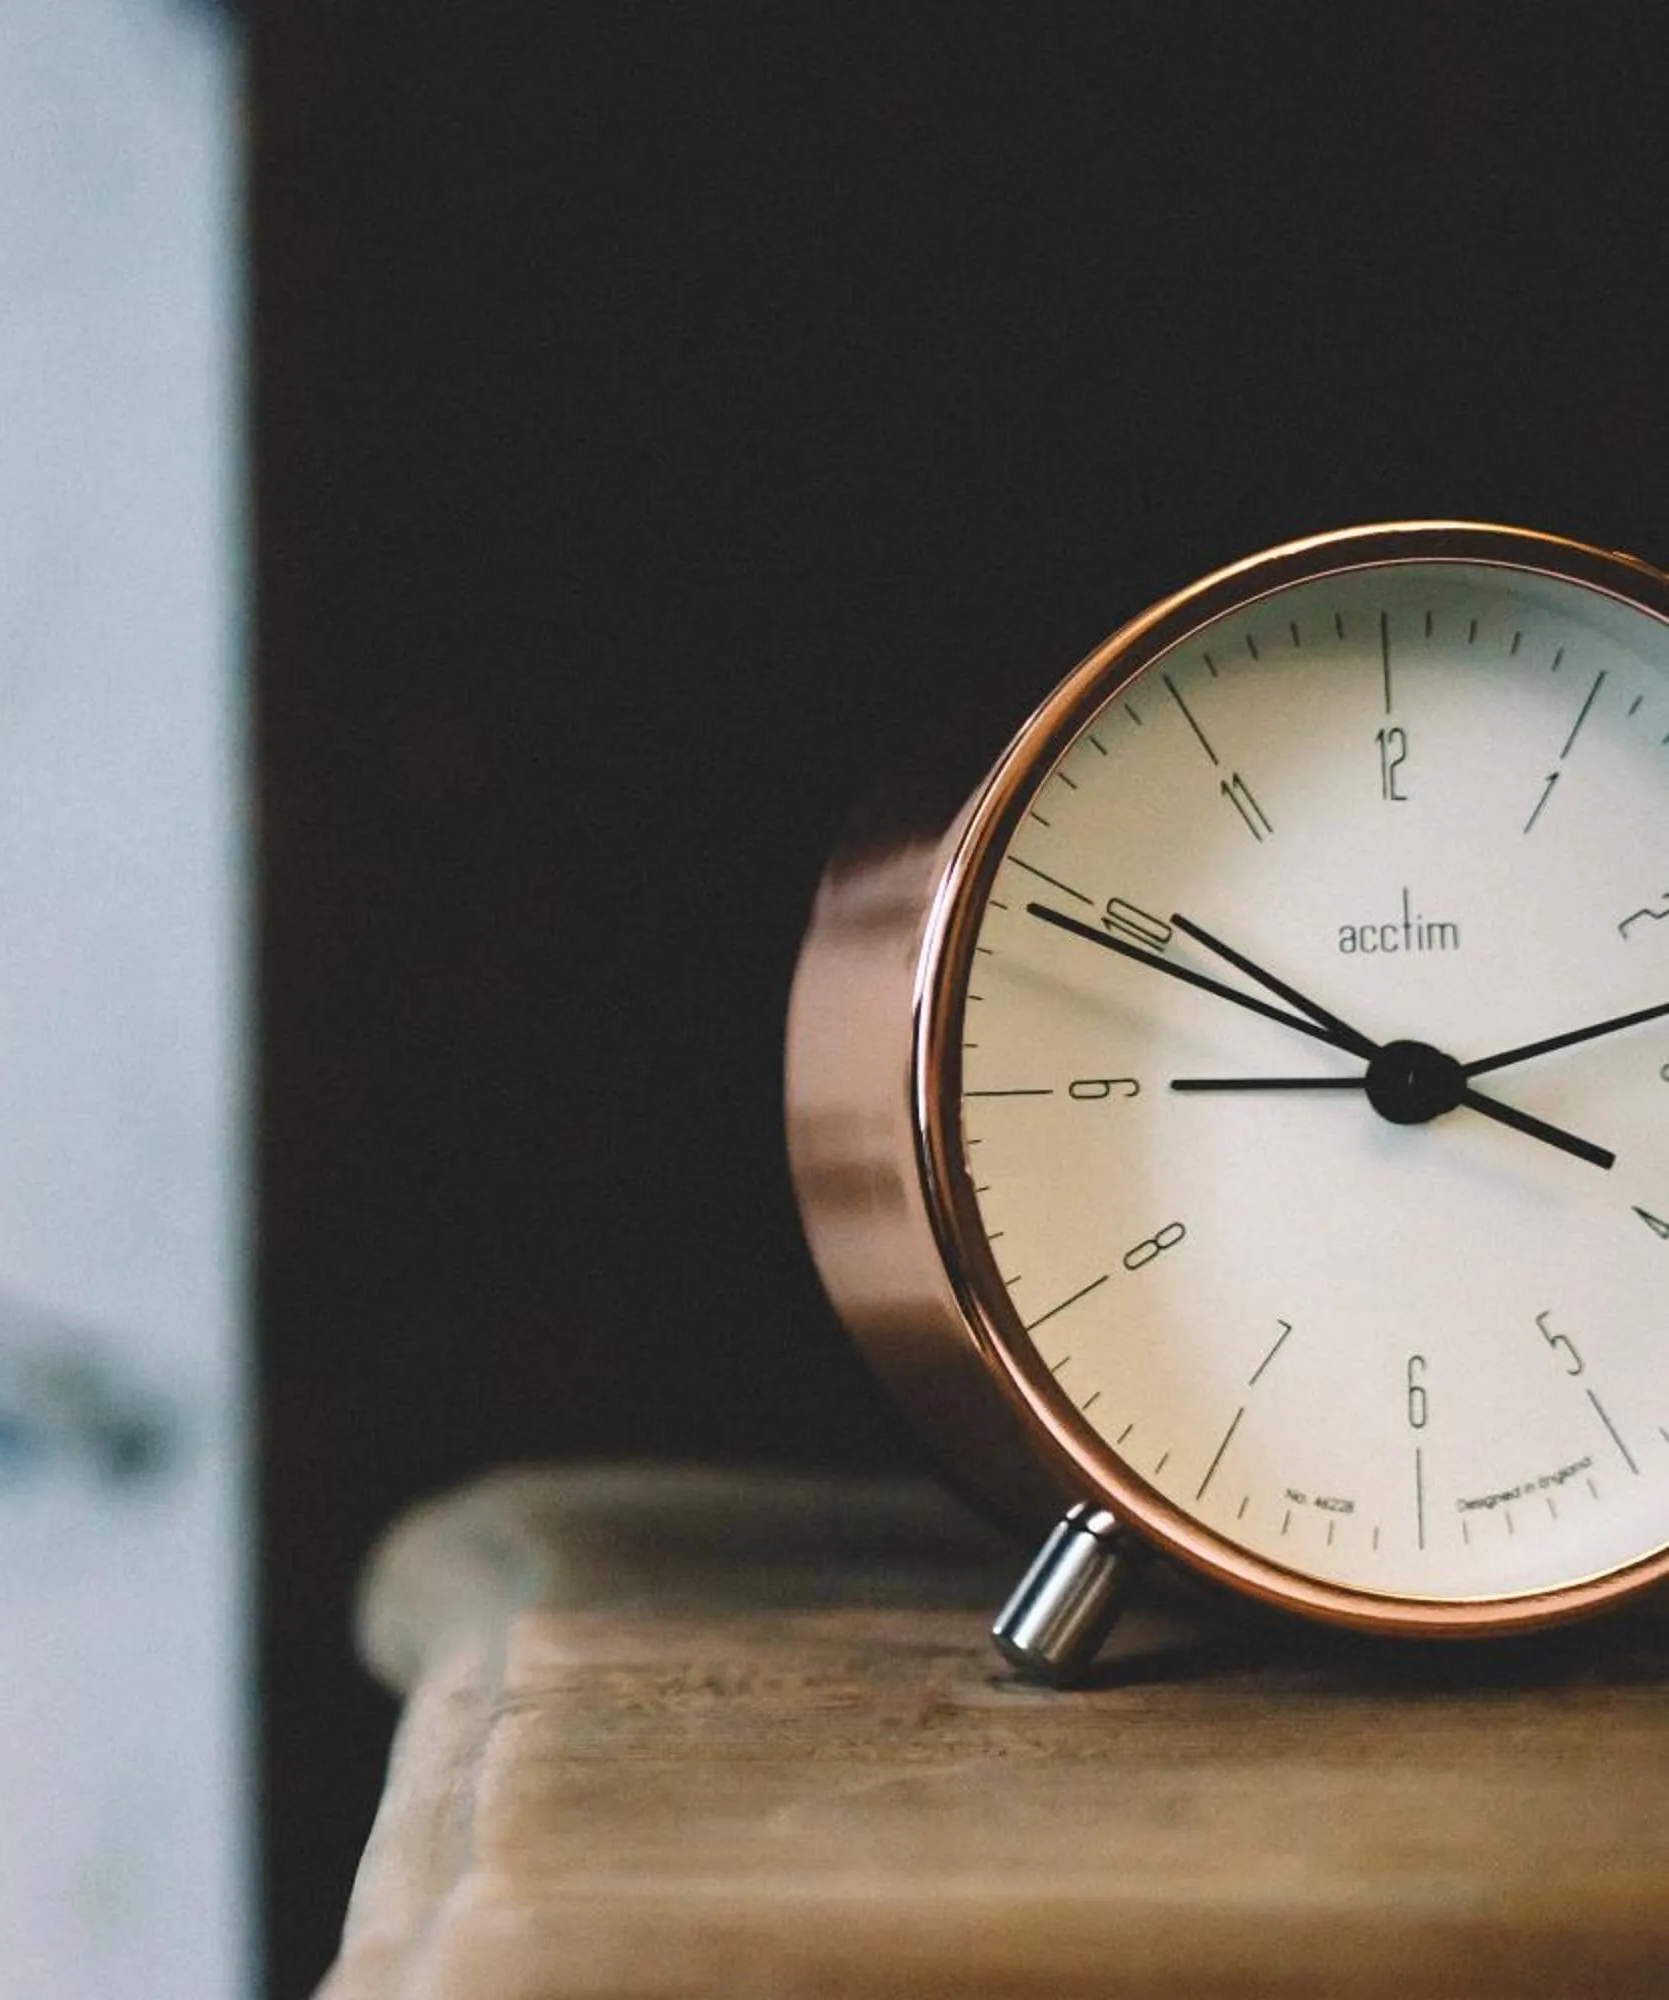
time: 3:49
